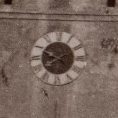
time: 7:49
